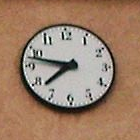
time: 7:47
